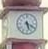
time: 5:18
